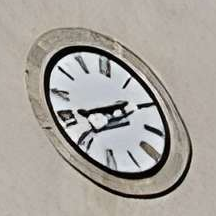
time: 1:40
